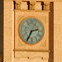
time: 2:34
